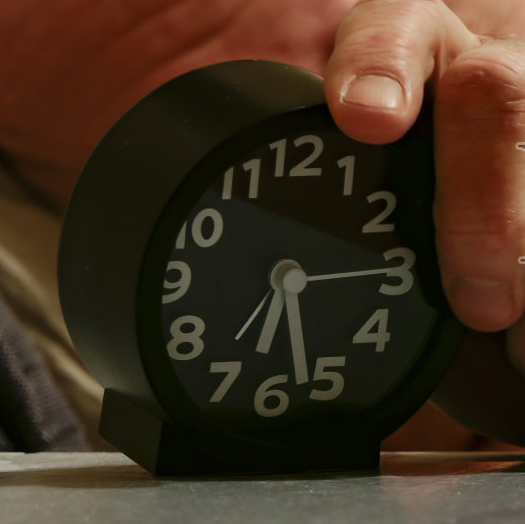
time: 6:27
